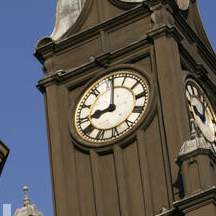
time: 9:01
